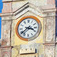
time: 3:38
